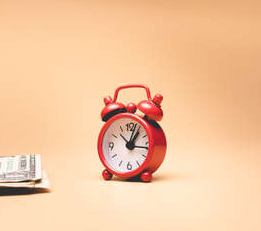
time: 1:16
